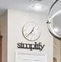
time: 12:37
